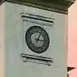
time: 3:04
